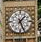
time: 1:26
